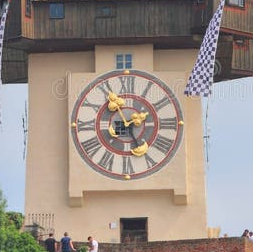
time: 1:56
